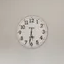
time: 5:31
